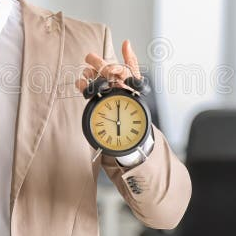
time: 6:00
